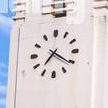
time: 7:20
